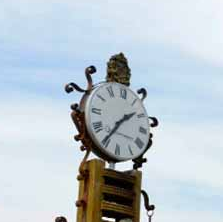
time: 1:35
